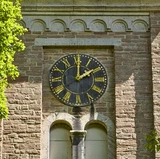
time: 2:00
